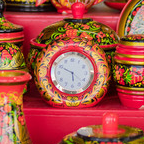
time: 5:49
